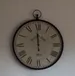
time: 5:59
